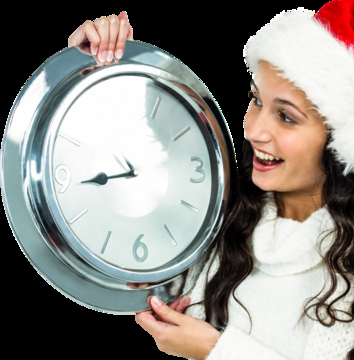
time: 8:43
